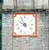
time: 9:54
